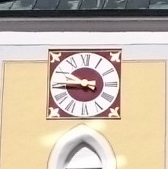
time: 9:44
